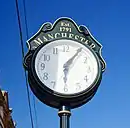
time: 6:06
